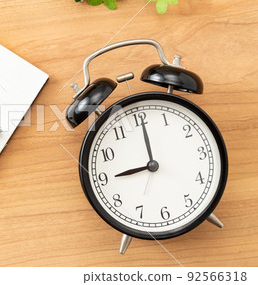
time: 9:00
